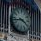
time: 3:43
